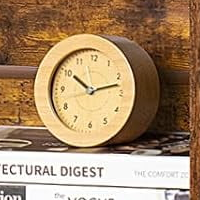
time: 10:12
